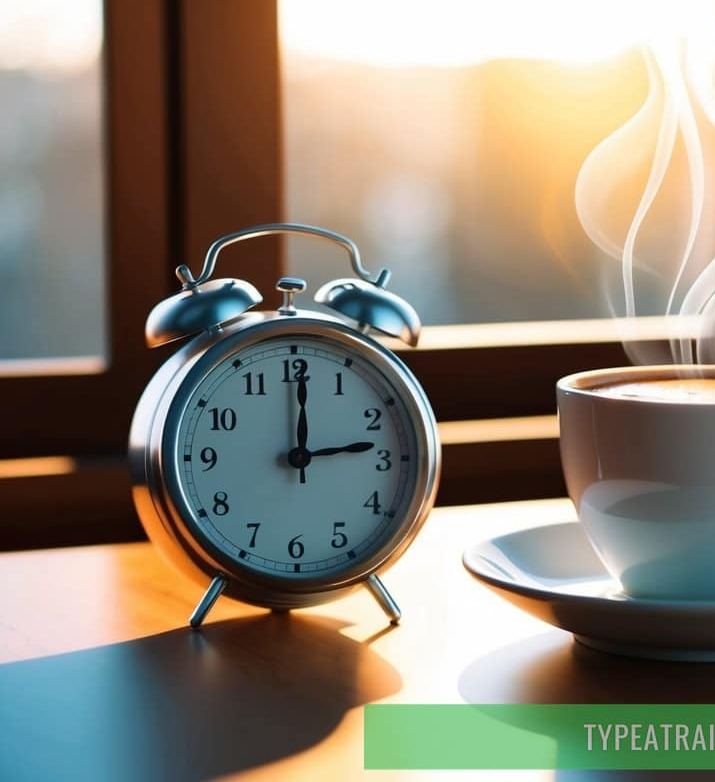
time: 12:13
